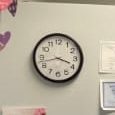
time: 3:42
